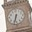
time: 6:32
